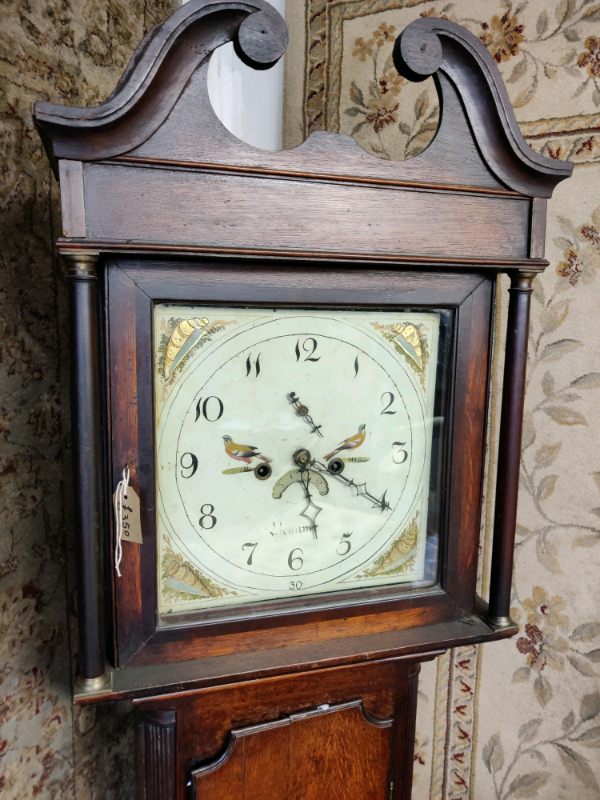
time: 9:20
